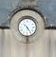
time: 10:24
